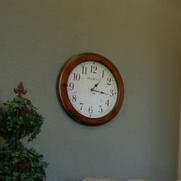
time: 1:16
